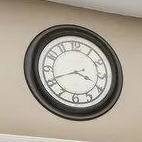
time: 3:40
